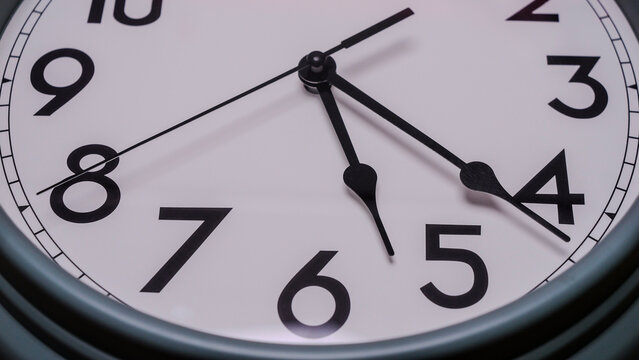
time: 5:21
